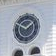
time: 1:49
